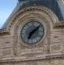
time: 7:08
